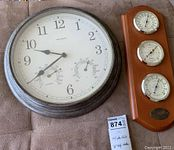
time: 9:39
